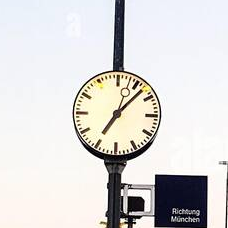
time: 7:07
